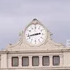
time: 2:42
